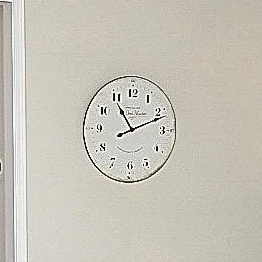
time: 11:11
